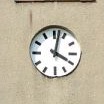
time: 4:02
